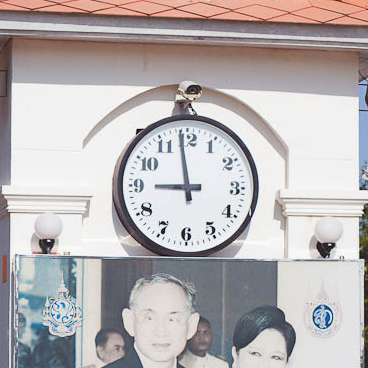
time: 8:58
